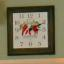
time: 3:11
